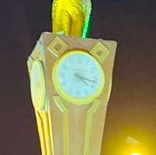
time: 4:17
